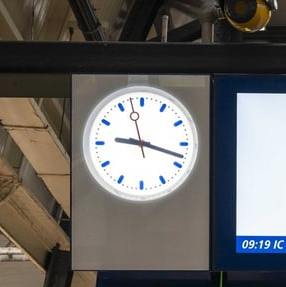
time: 9:17
